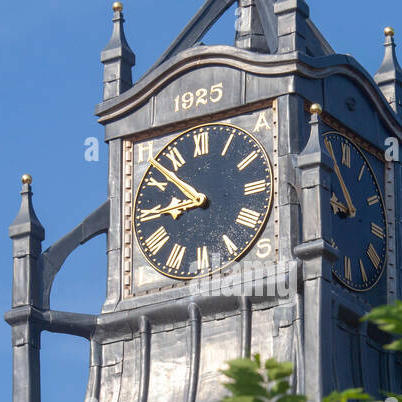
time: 8:52
